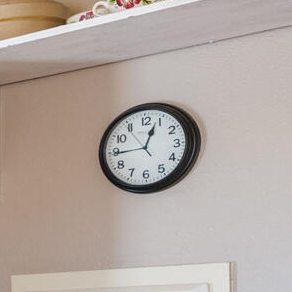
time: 12:44
